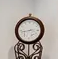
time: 3:43
